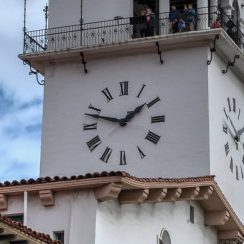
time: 1:47
